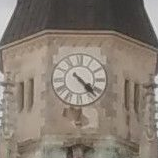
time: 4:22
